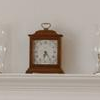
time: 6:23
